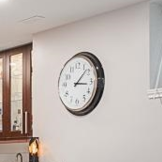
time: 3:07
